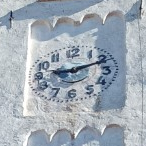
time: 9:11
